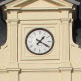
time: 1:20
